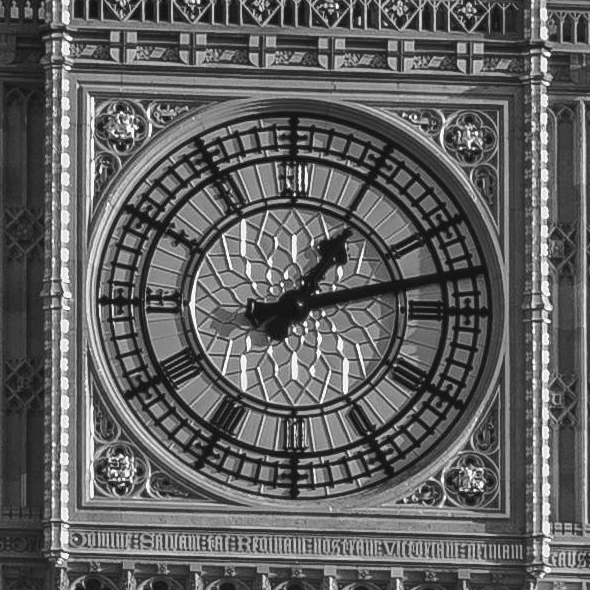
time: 1:12
